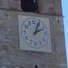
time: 2:03
